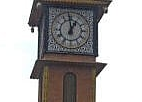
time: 12:59
